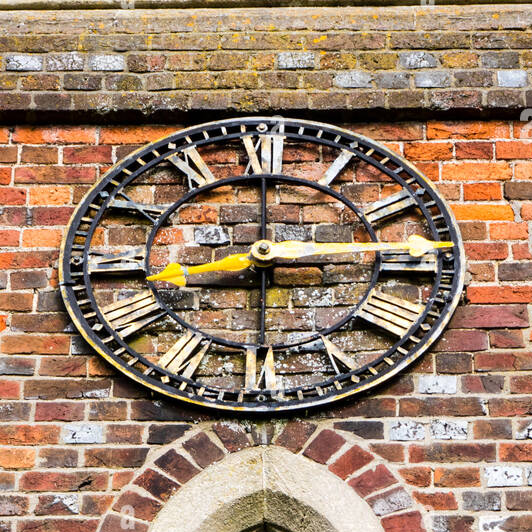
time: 8:14
